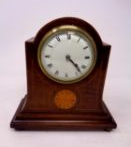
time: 4:22
